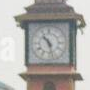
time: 10:27
